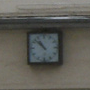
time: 10:52
